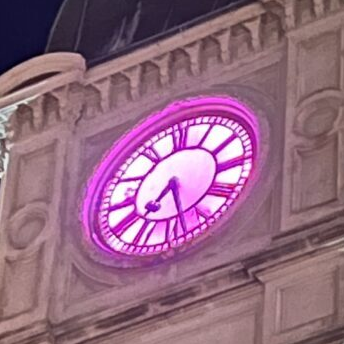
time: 7:28
